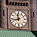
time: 11:42
